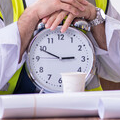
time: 2:49
